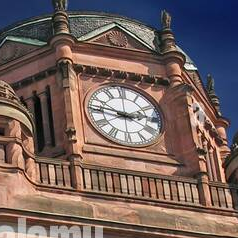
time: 2:46
